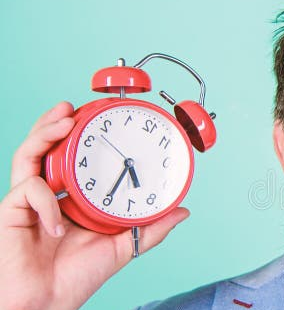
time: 5:34
